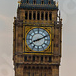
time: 8:11
